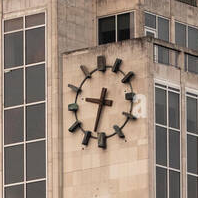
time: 9:33
